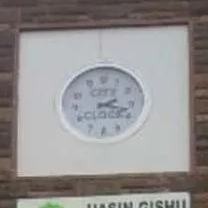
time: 2:17
